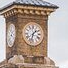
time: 1:32
